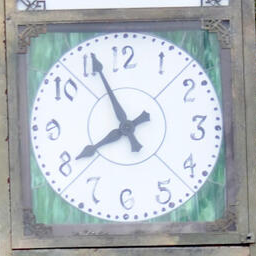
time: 7:55
